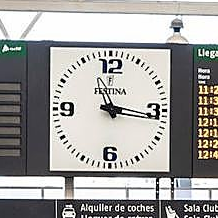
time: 11:16
